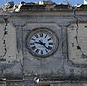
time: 9:22
